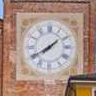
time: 7:39
